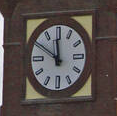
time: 11:50
